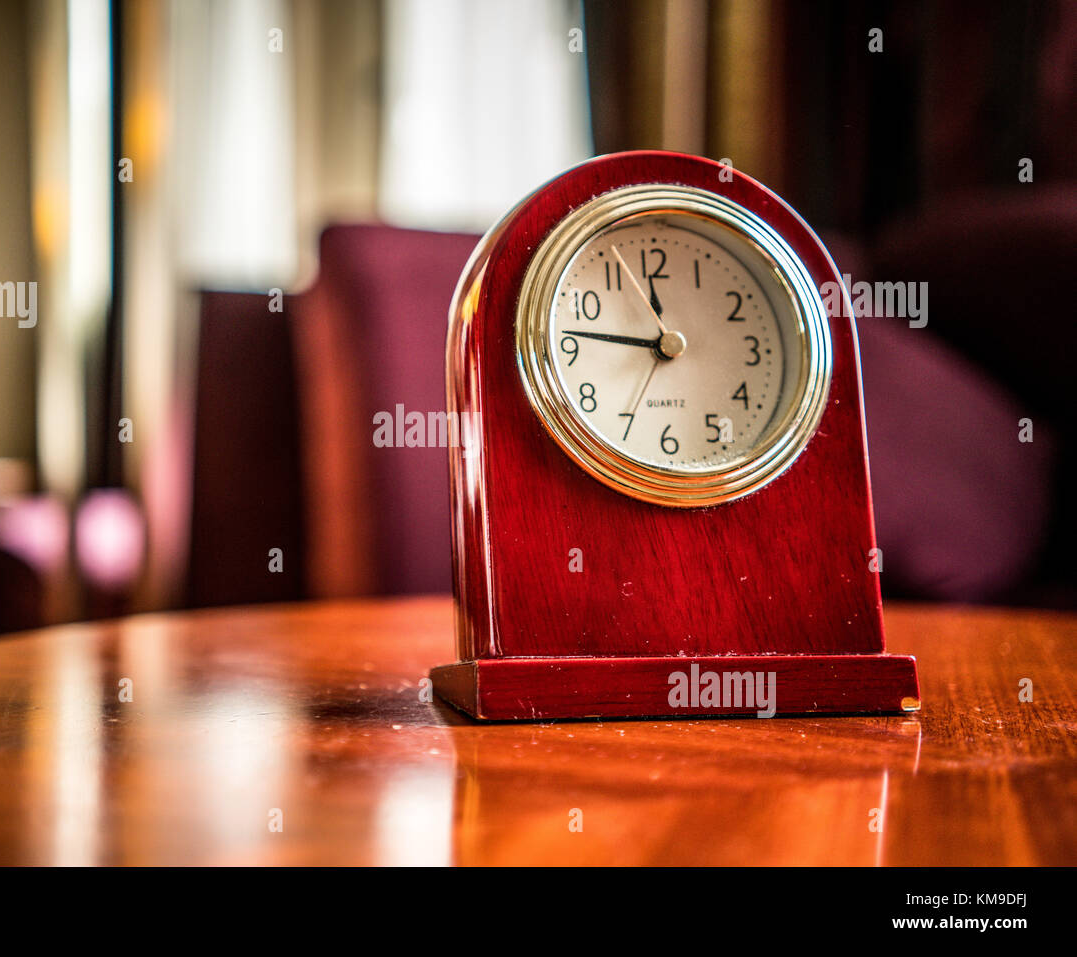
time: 11:46
